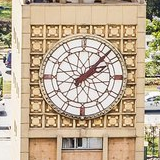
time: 2:07
